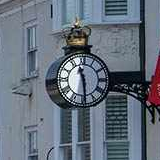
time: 11:29
